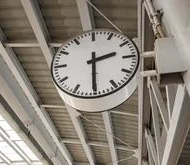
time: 2:30
